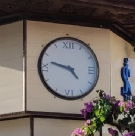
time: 4:47
